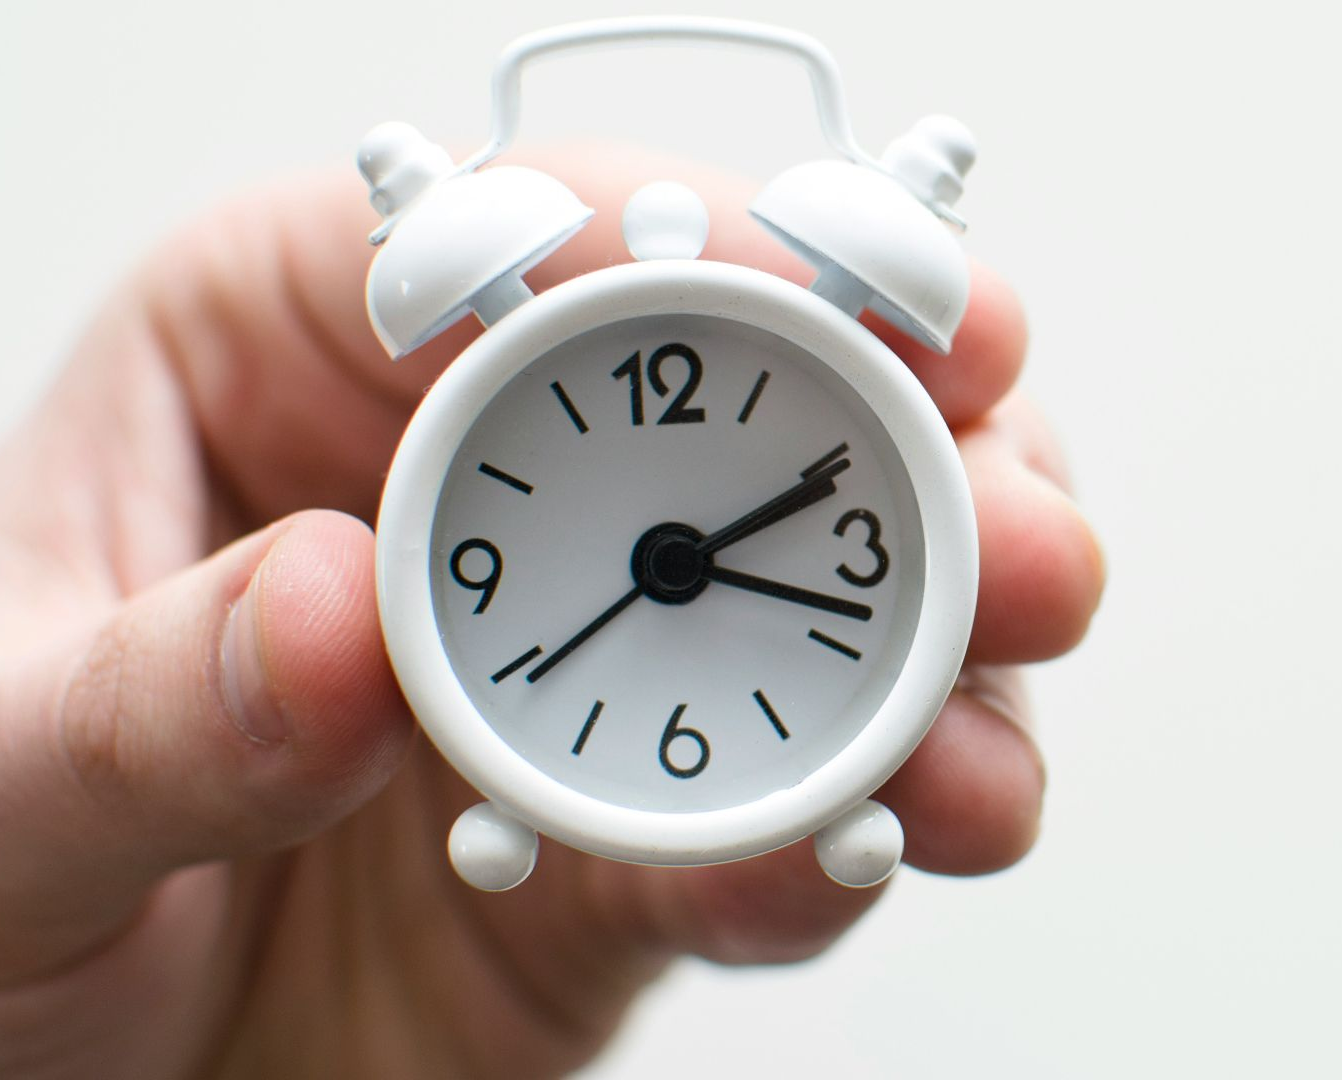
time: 2:18
